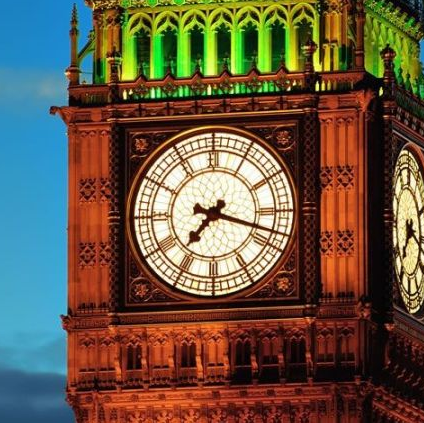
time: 7:17
